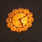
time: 5:08
